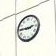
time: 2:45
